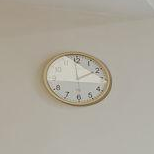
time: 1:59
